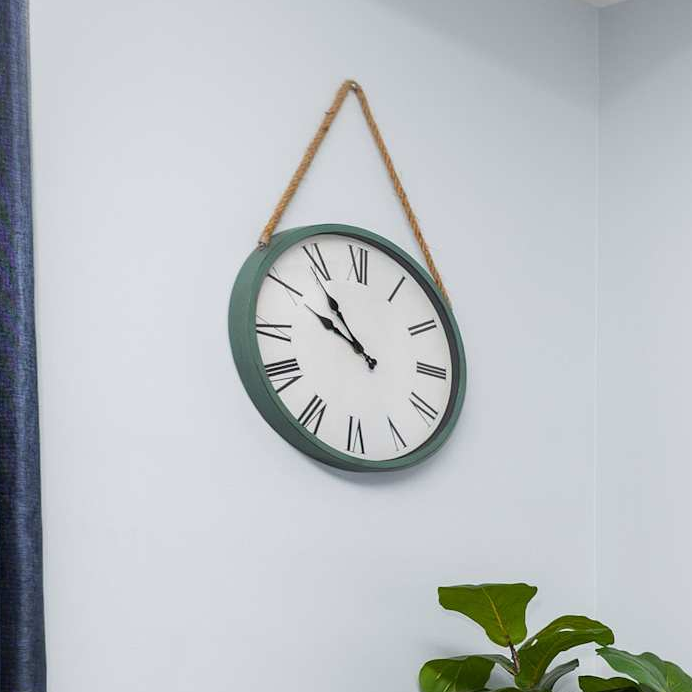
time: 9:53
